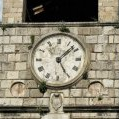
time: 1:25
